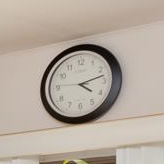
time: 4:12
